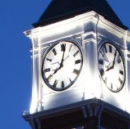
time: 8:01
